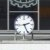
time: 2:26
